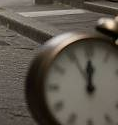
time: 11:55
